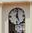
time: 5:01
